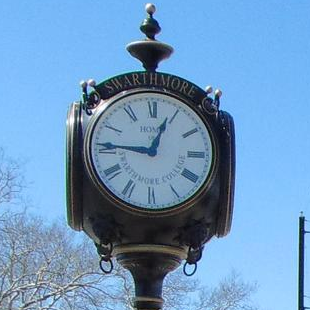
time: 12:45
